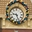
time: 9:27
